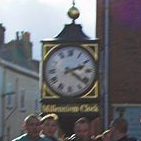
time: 2:21
